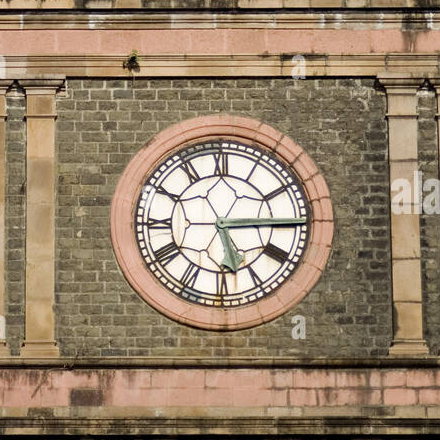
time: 5:14
